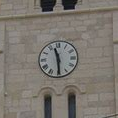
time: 11:29
